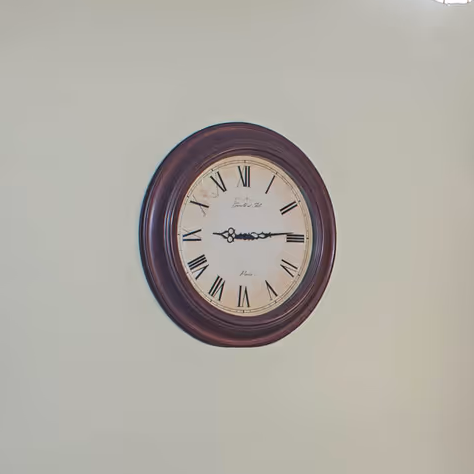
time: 9:14
